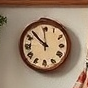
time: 11:52
